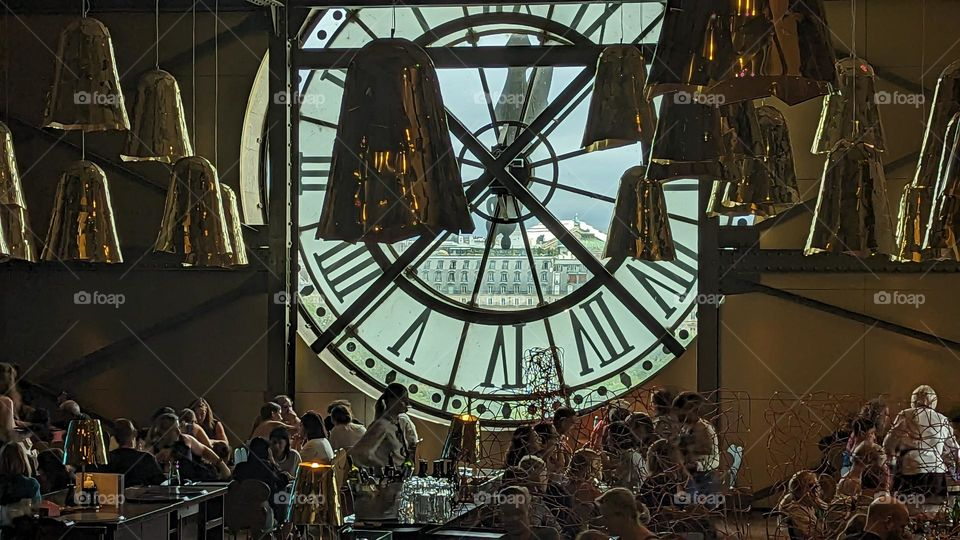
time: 1:21
